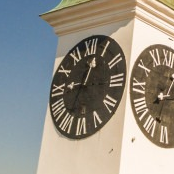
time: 12:34
